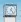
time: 12:23
